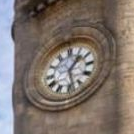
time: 1:28
